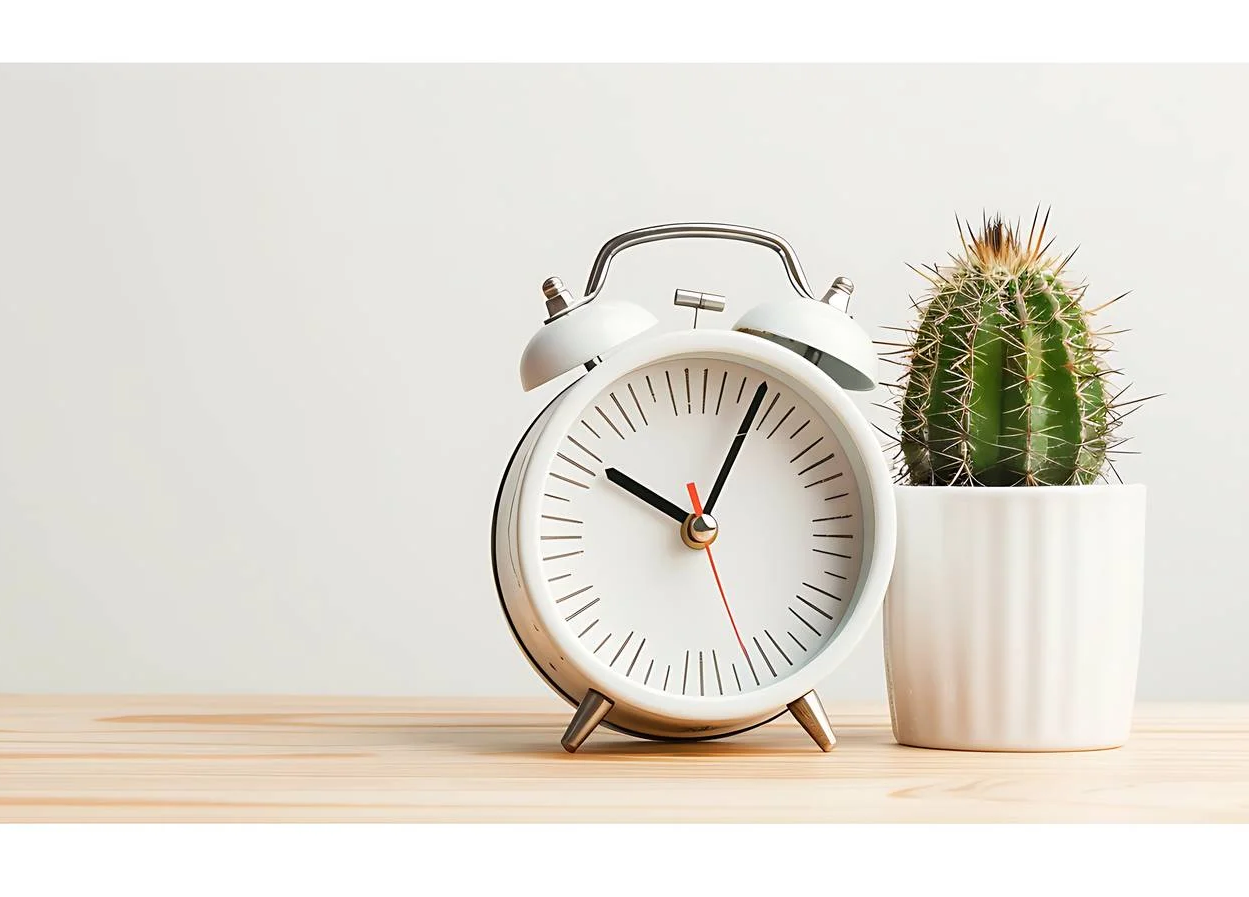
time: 10:04
